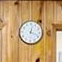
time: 12:18
